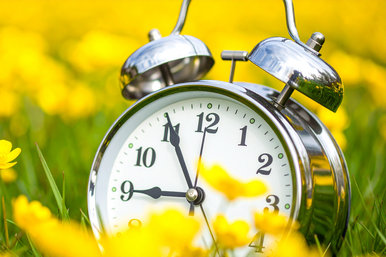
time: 8:55
